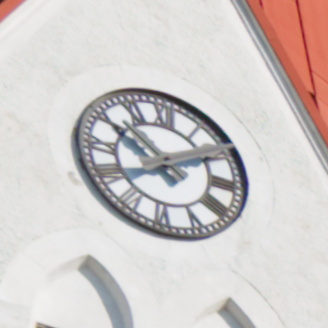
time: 10:10
